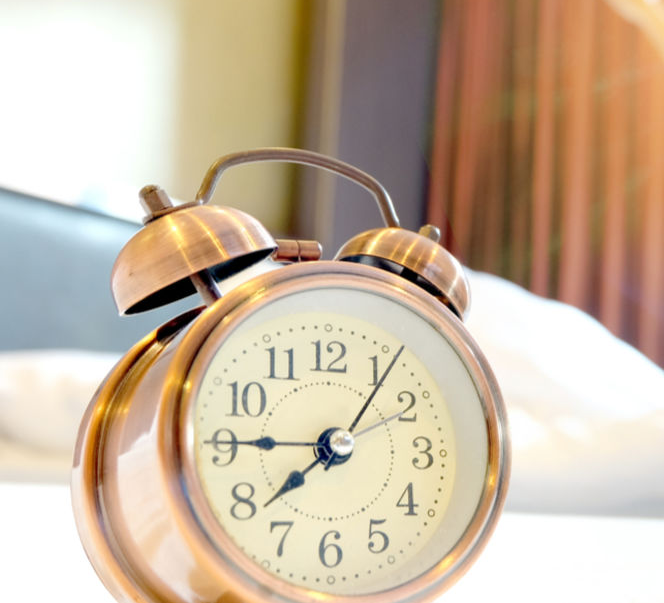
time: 7:45
